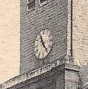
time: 11:24
